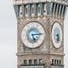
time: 5:14
